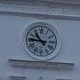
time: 10:45
